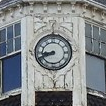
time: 8:40
